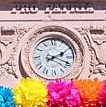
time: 2:18
